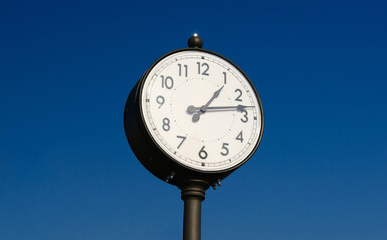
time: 1:13
